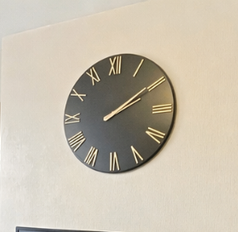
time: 2:09
